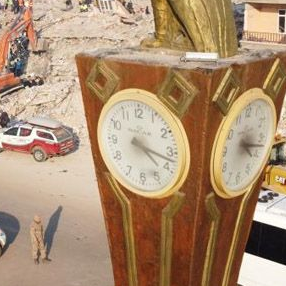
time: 4:17
